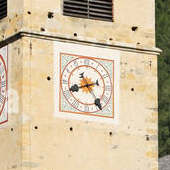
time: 8:24
